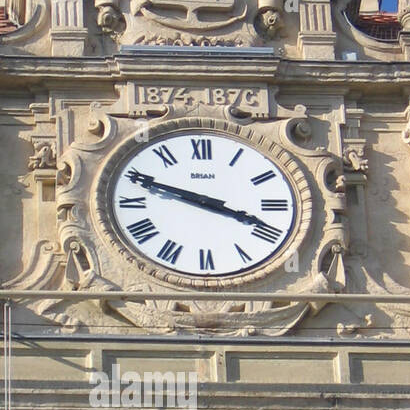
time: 3:48
